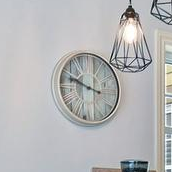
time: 9:48
